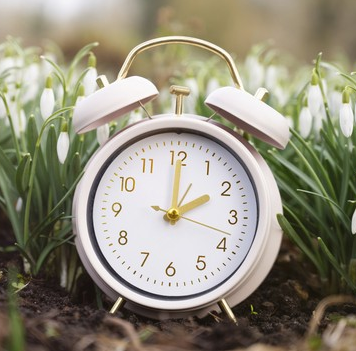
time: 2:00
